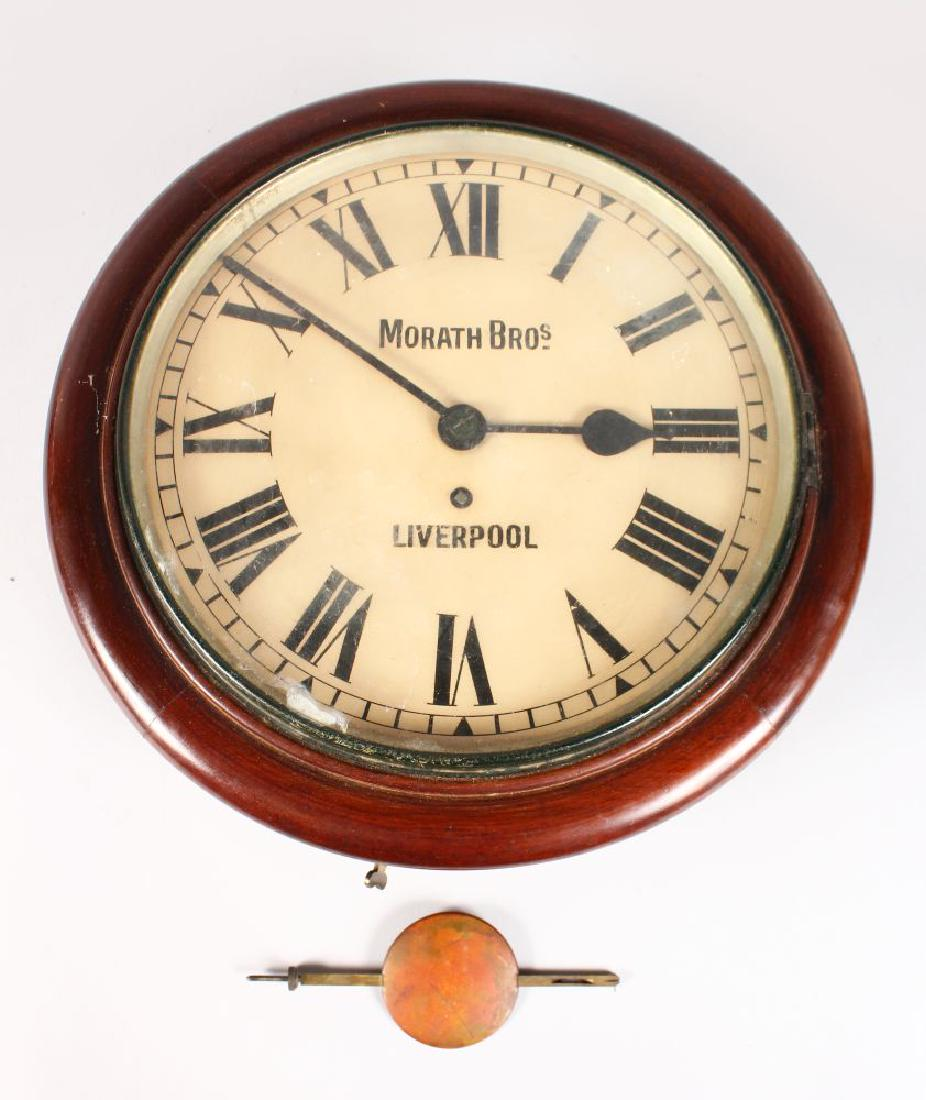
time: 2:50
